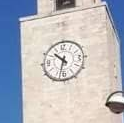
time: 10:32
